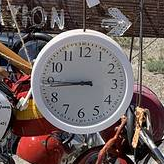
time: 8:44
